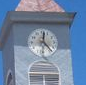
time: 12:23
